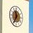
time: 11:35
